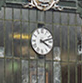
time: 4:12
